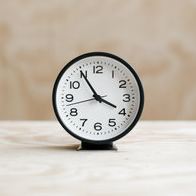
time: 3:54
